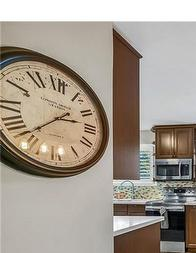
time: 2:38
